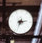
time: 2:33
